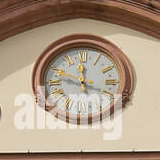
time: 11:48
